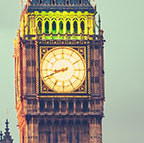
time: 8:41
